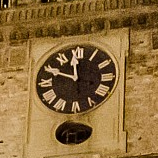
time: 11:49
